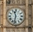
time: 11:32
